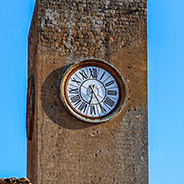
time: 6:25
